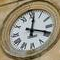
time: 12:18
